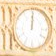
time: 12:00
